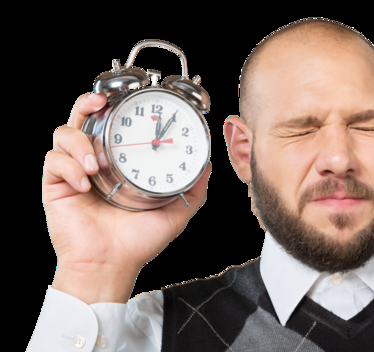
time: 12:05
